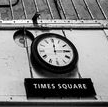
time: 12:14
